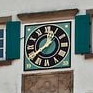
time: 1:39
